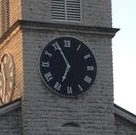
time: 6:55
